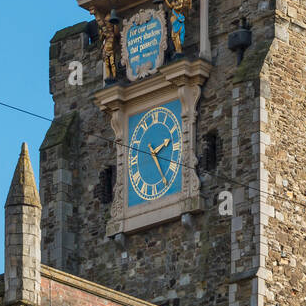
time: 2:24
